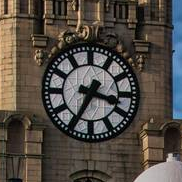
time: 3:34
